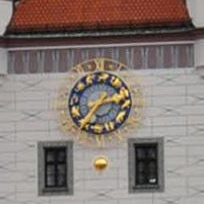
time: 2:36
